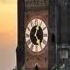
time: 12:24
